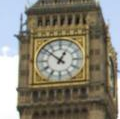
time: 12:52
